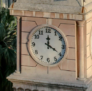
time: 4:00
